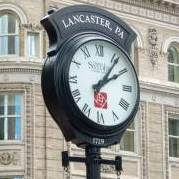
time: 2:06
